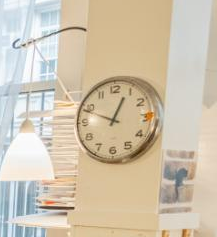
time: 12:48
